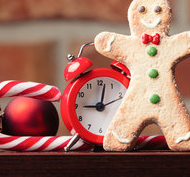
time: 9:01
